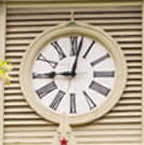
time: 9:01
